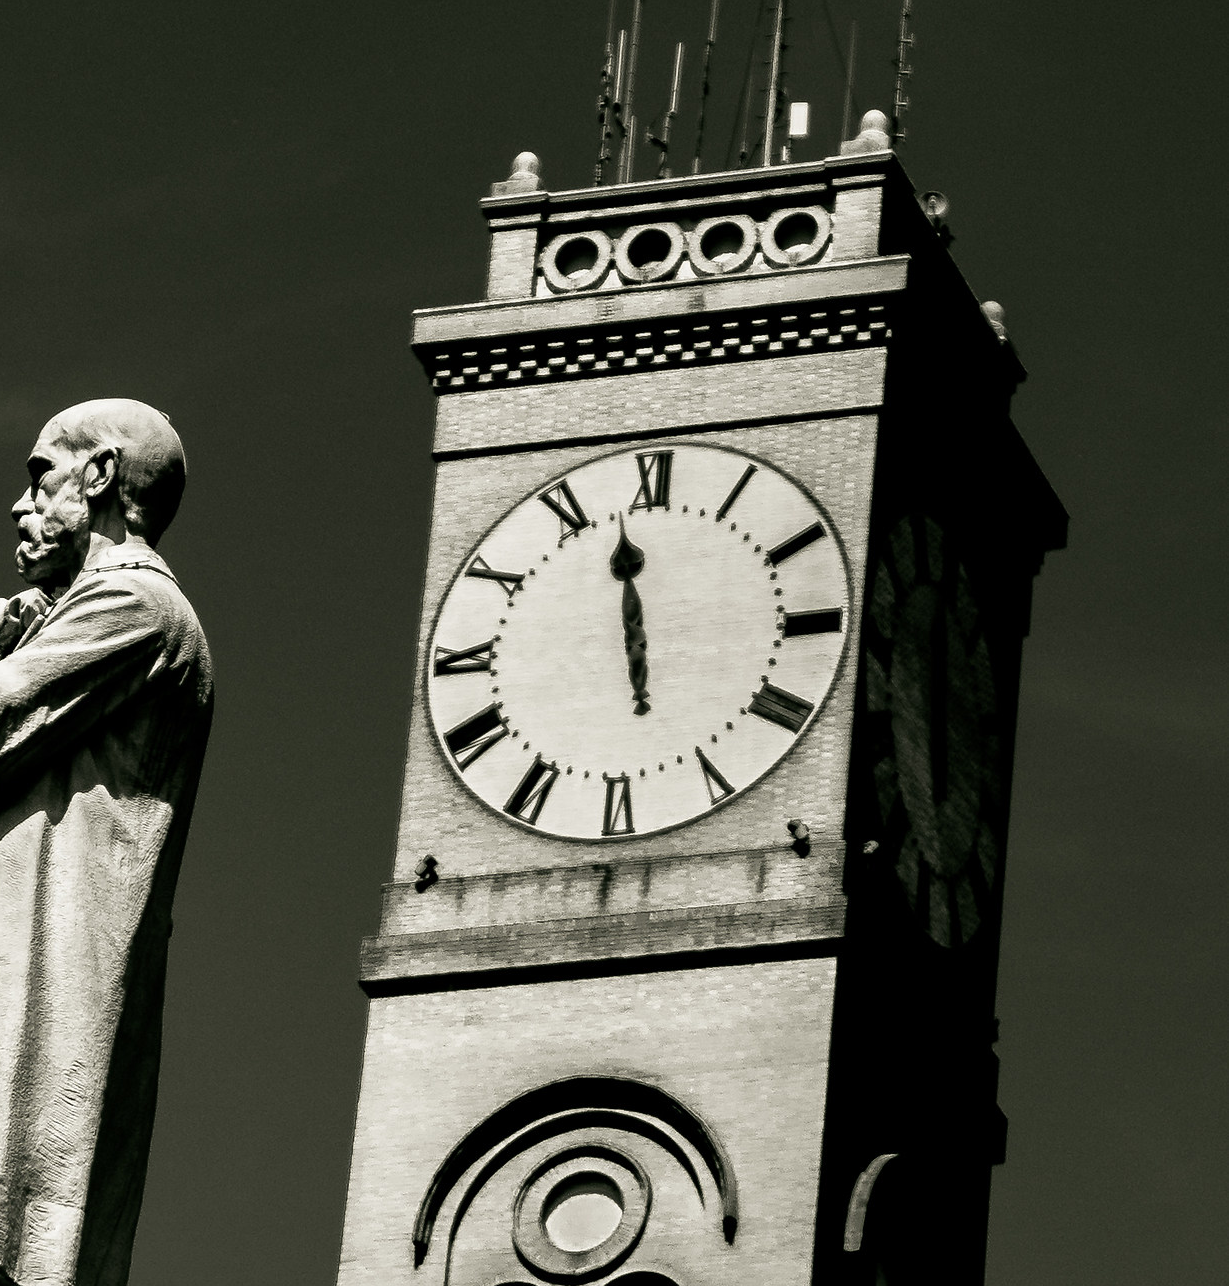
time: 11:28
